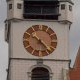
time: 10:22
